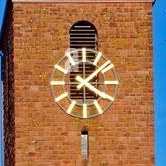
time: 4:07
